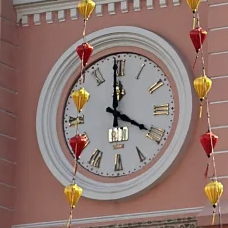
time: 3:59
